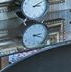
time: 2:18
